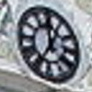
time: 11:35
